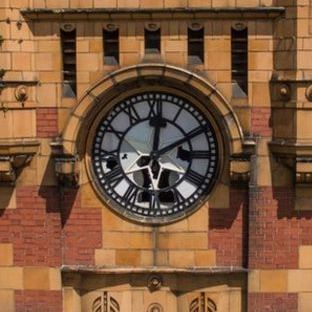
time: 12:10
